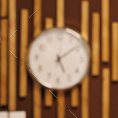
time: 5:08
